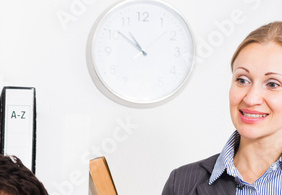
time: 10:51
